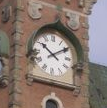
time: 10:09
